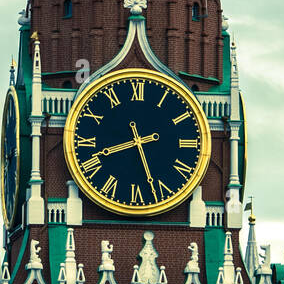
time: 8:26
